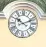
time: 10:11
